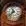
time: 11:37
